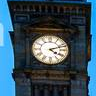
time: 4:12
